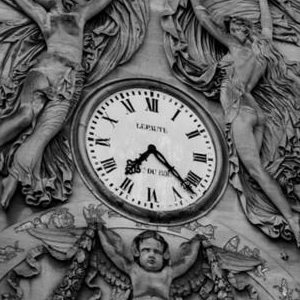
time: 7:22
